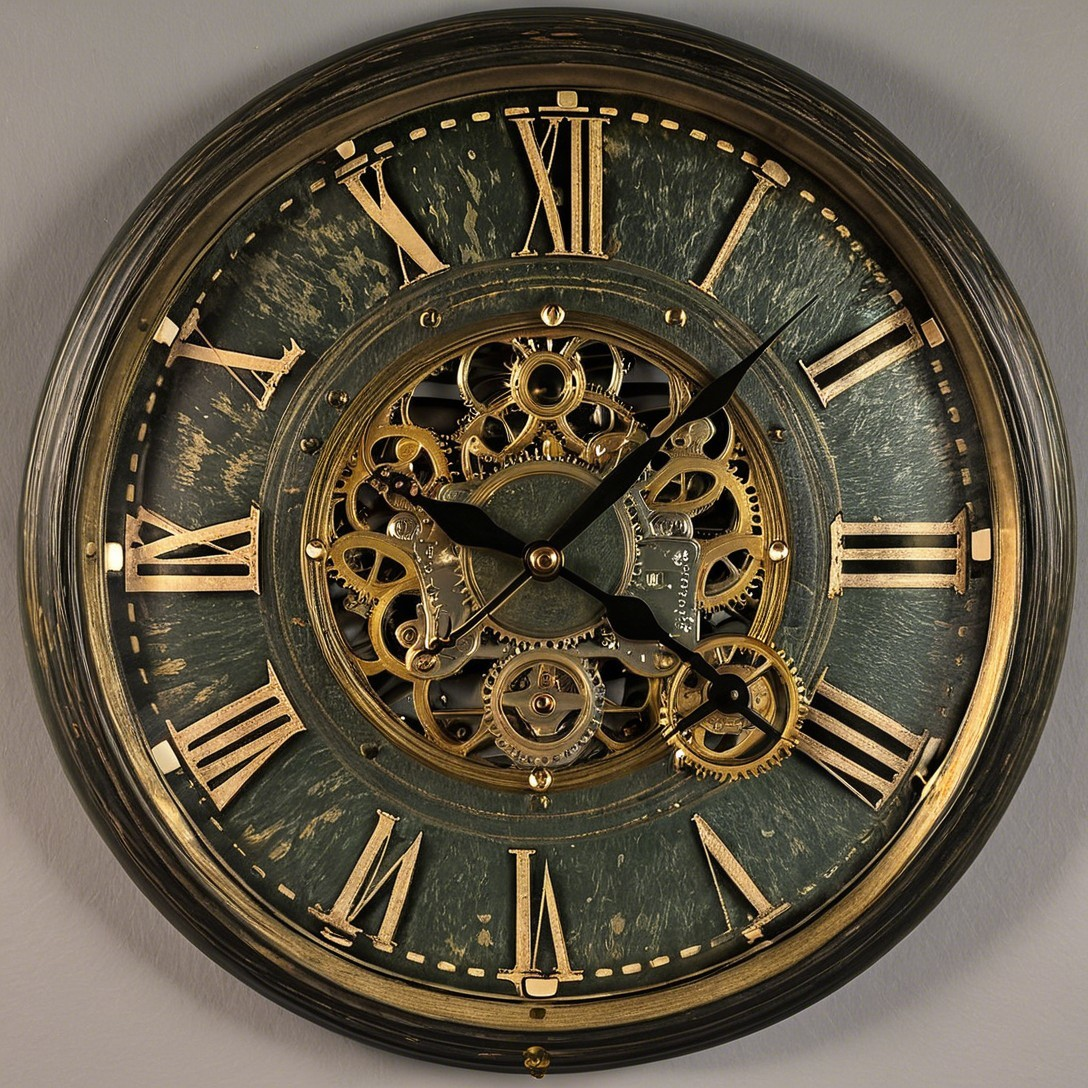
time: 4:08
